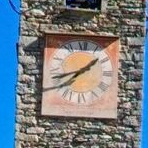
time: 1:42
